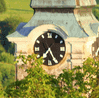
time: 7:25
